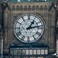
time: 1:13
